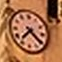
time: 7:21
